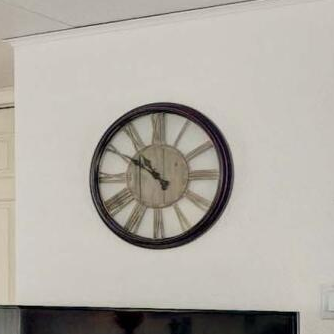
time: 10:50
